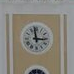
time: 2:58
